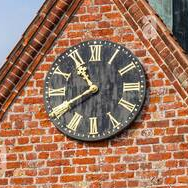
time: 10:40
